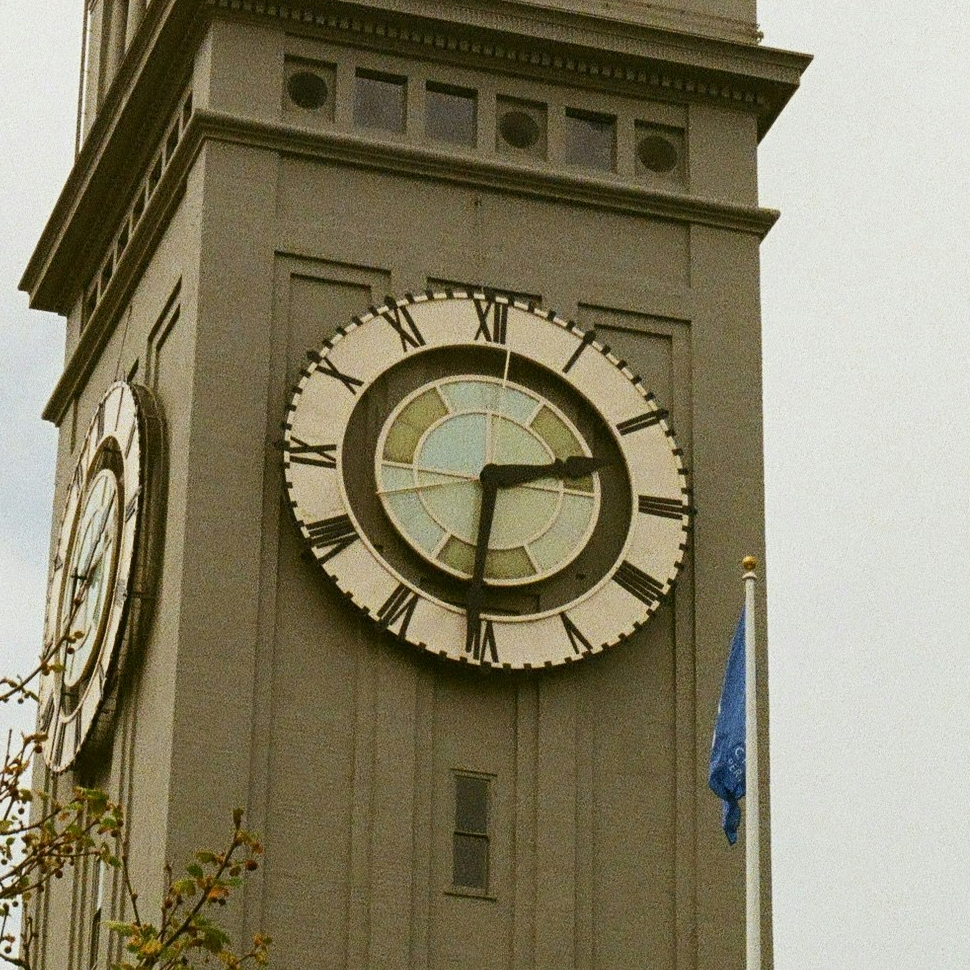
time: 2:30
